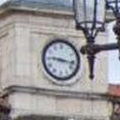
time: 9:16
